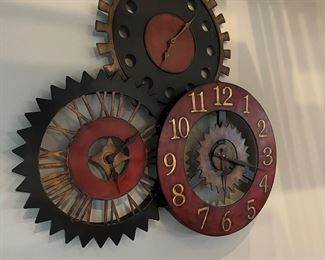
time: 1:18
